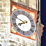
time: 7:47
